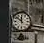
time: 11:51
